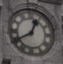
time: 12:40
